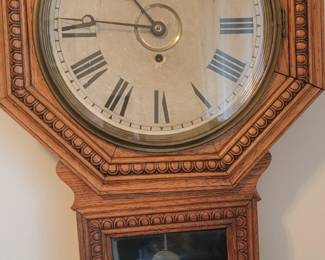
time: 10:46
